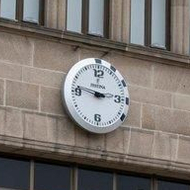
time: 2:46
